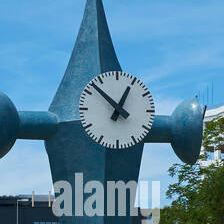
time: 12:52
